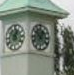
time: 12:52
